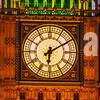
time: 6:10
